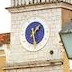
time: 1:28
